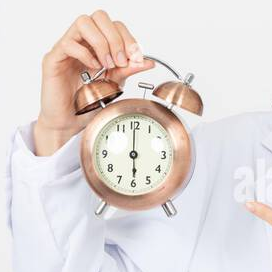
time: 6:00
